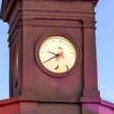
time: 9:39
